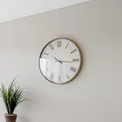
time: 10:15
